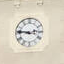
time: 2:46
